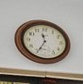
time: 11:34
